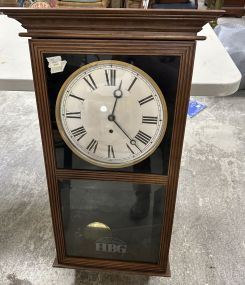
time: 12:23
